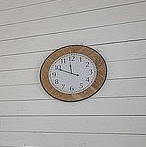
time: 11:48
